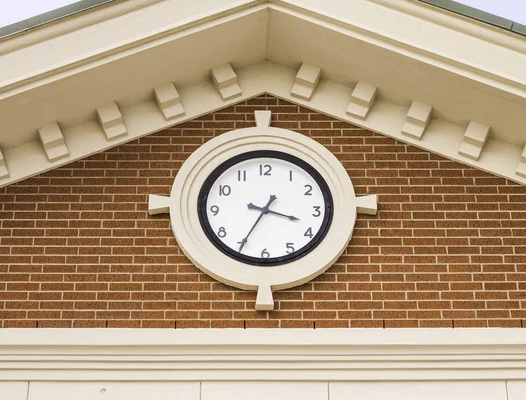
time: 3:34
